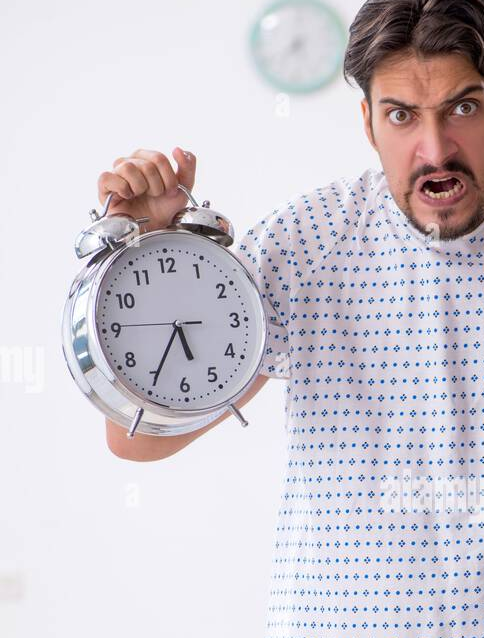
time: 5:35
